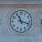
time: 11:18
